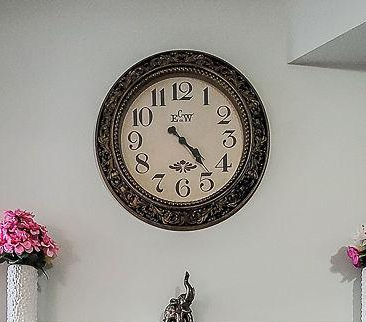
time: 4:23
